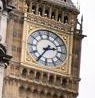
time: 2:35
